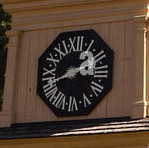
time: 1:41
